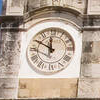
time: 11:49
